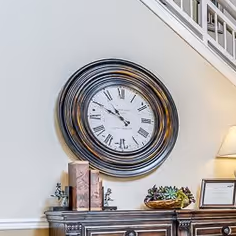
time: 10:50
